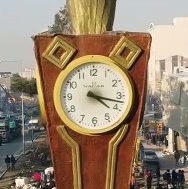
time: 4:17
